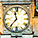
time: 11:36
